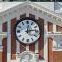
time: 12:13
